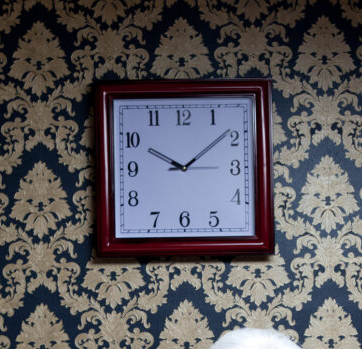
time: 10:08
